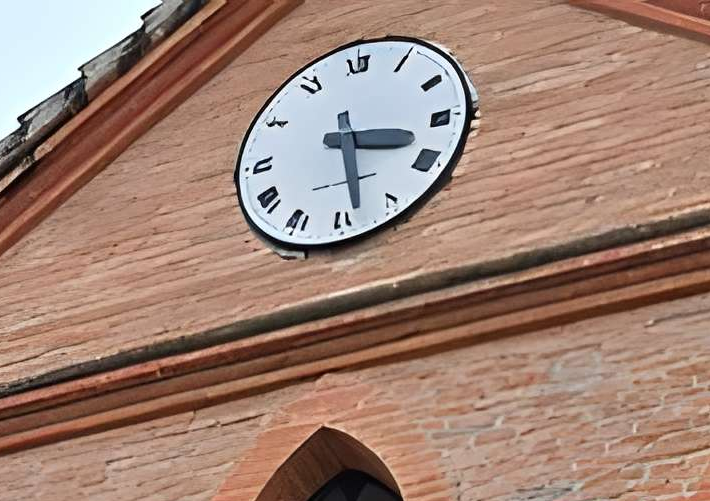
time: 3:28
